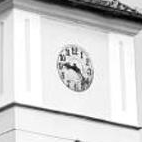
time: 9:22
